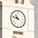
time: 10:48
